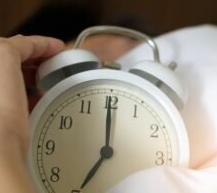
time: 7:00
